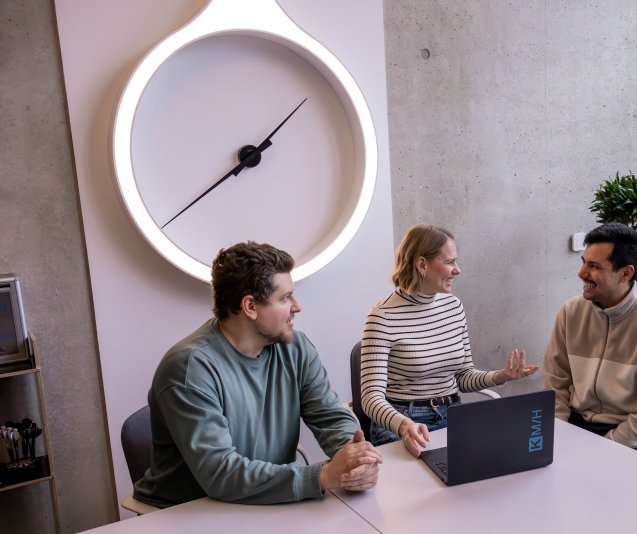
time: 1:38
